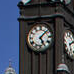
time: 5:07
